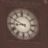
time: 8:49
